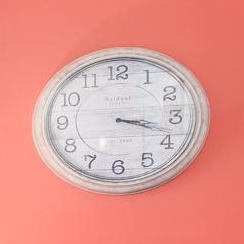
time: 3:18
